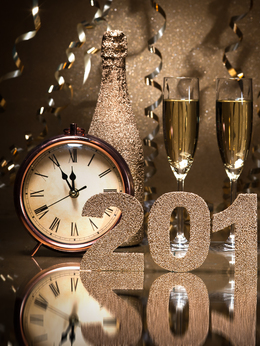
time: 11:55
